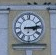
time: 3:13
